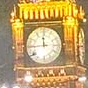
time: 11:44
